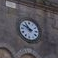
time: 9:53
